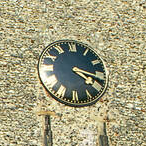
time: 4:17
